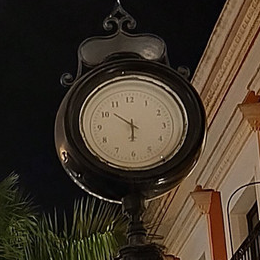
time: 5:51
